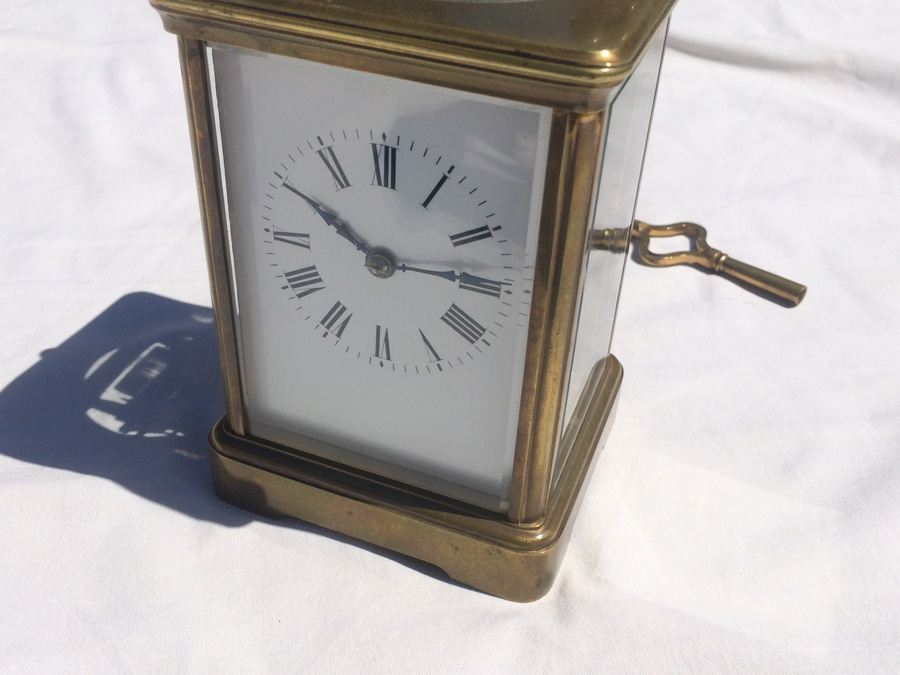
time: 2:49
